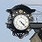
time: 4:22
